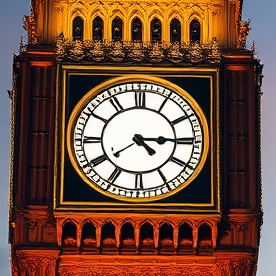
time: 4:14
